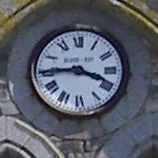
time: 3:44
